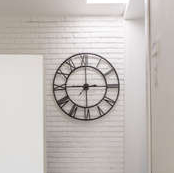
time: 2:45
